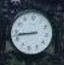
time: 8:42
